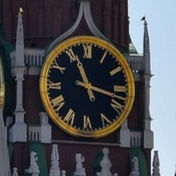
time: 11:17
